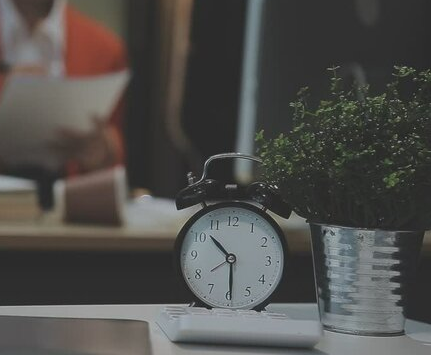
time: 10:29
